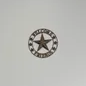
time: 2:23
